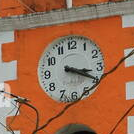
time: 3:19
